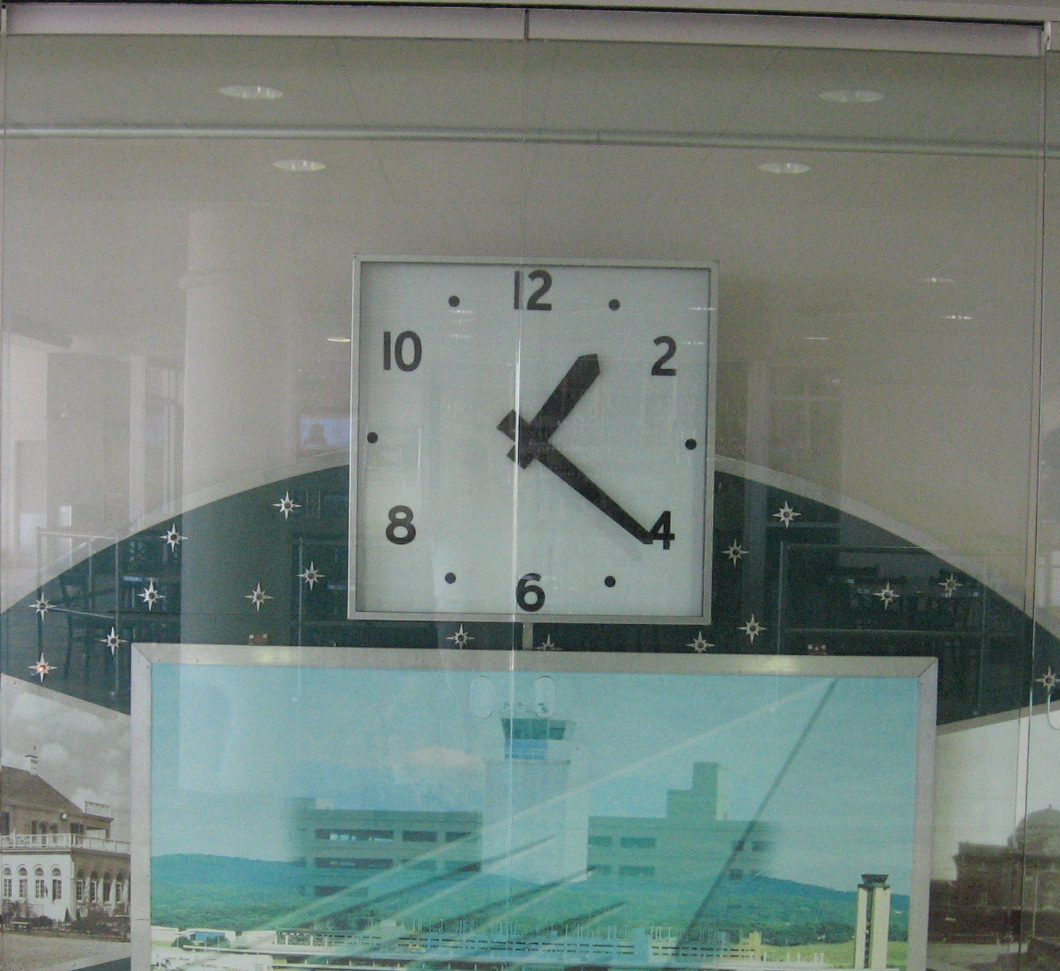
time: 1:21
